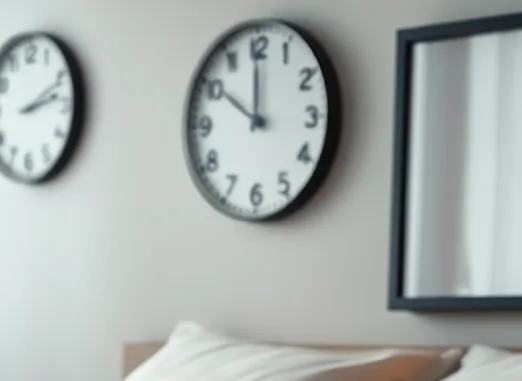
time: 11:50
